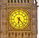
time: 6:23
